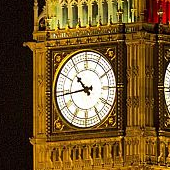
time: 10:43
